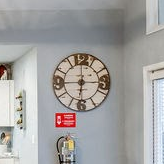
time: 6:15
